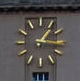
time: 1:16
